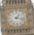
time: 1:17
